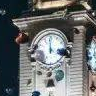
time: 11:59
